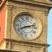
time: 8:12
